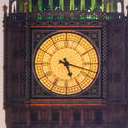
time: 5:17
